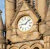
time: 9:07
